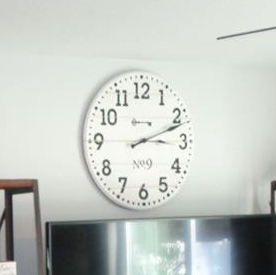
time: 3:11
